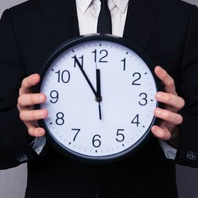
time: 11:54
